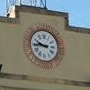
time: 9:44
